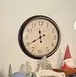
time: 11:40
